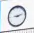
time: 9:12
